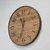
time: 11:32
